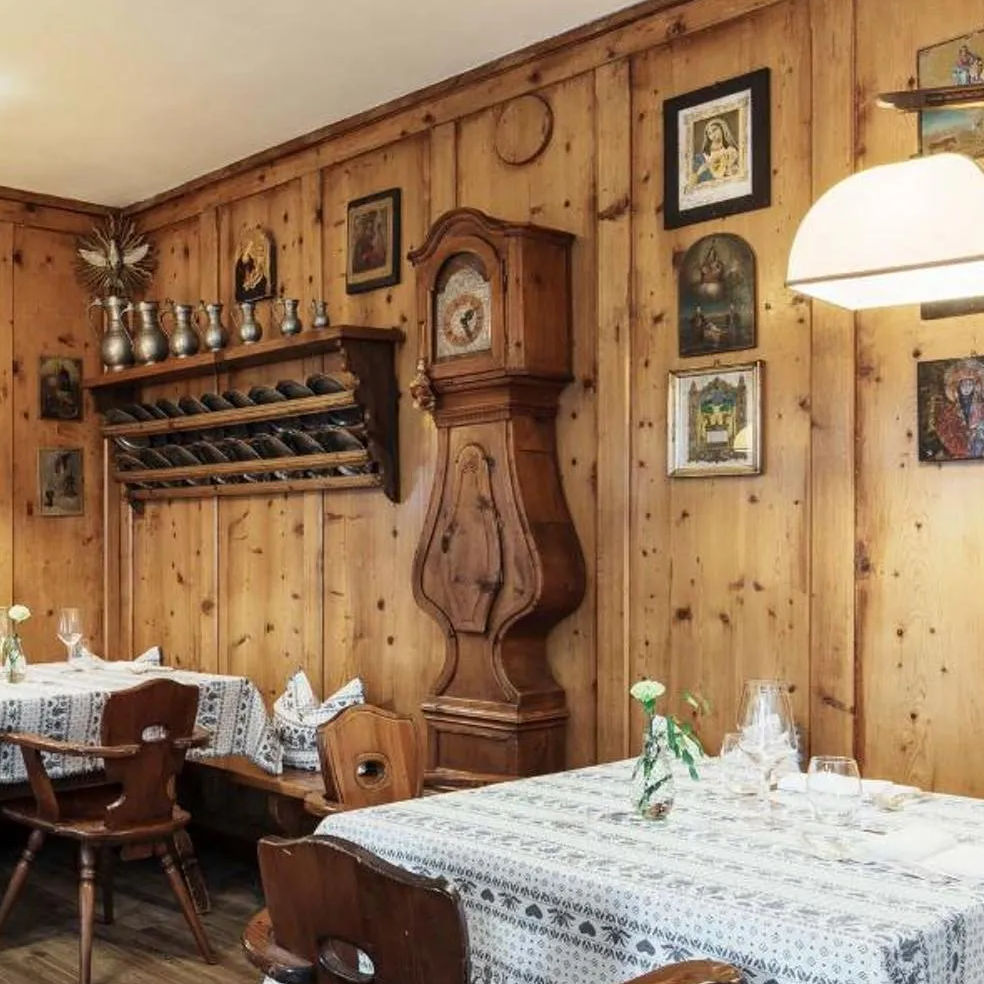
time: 8:45
